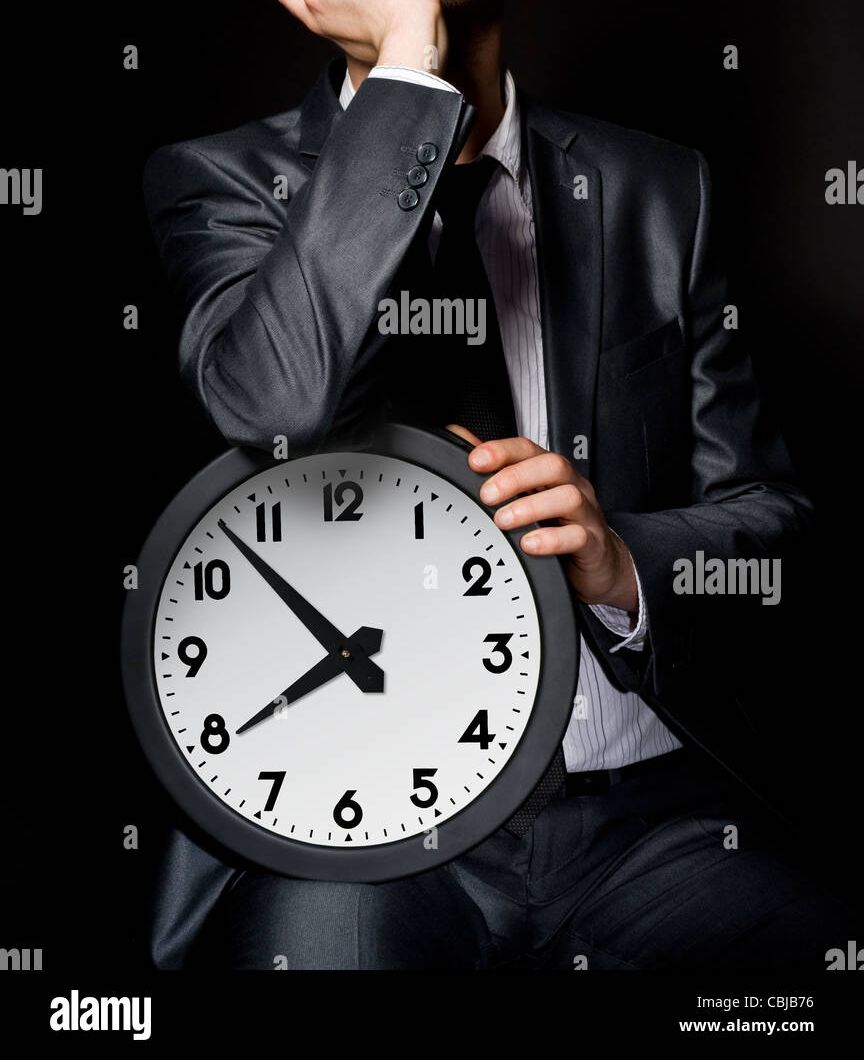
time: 7:52
